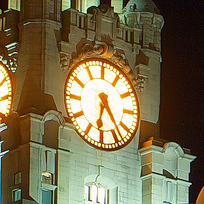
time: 6:23
